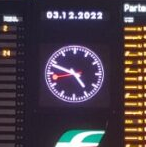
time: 4:48
